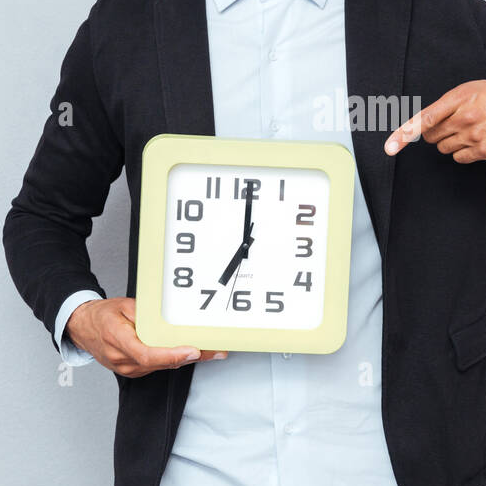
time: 7:00
